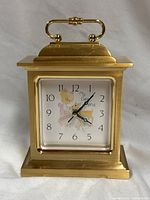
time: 4:07
